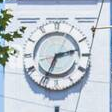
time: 2:34
